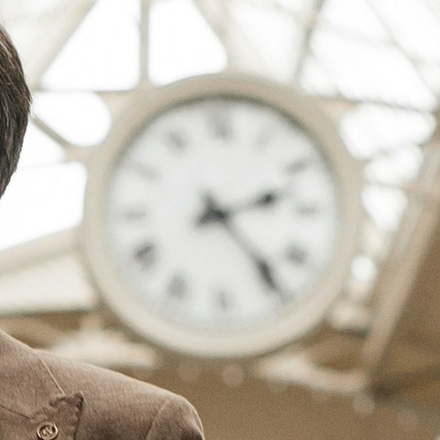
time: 2:23
